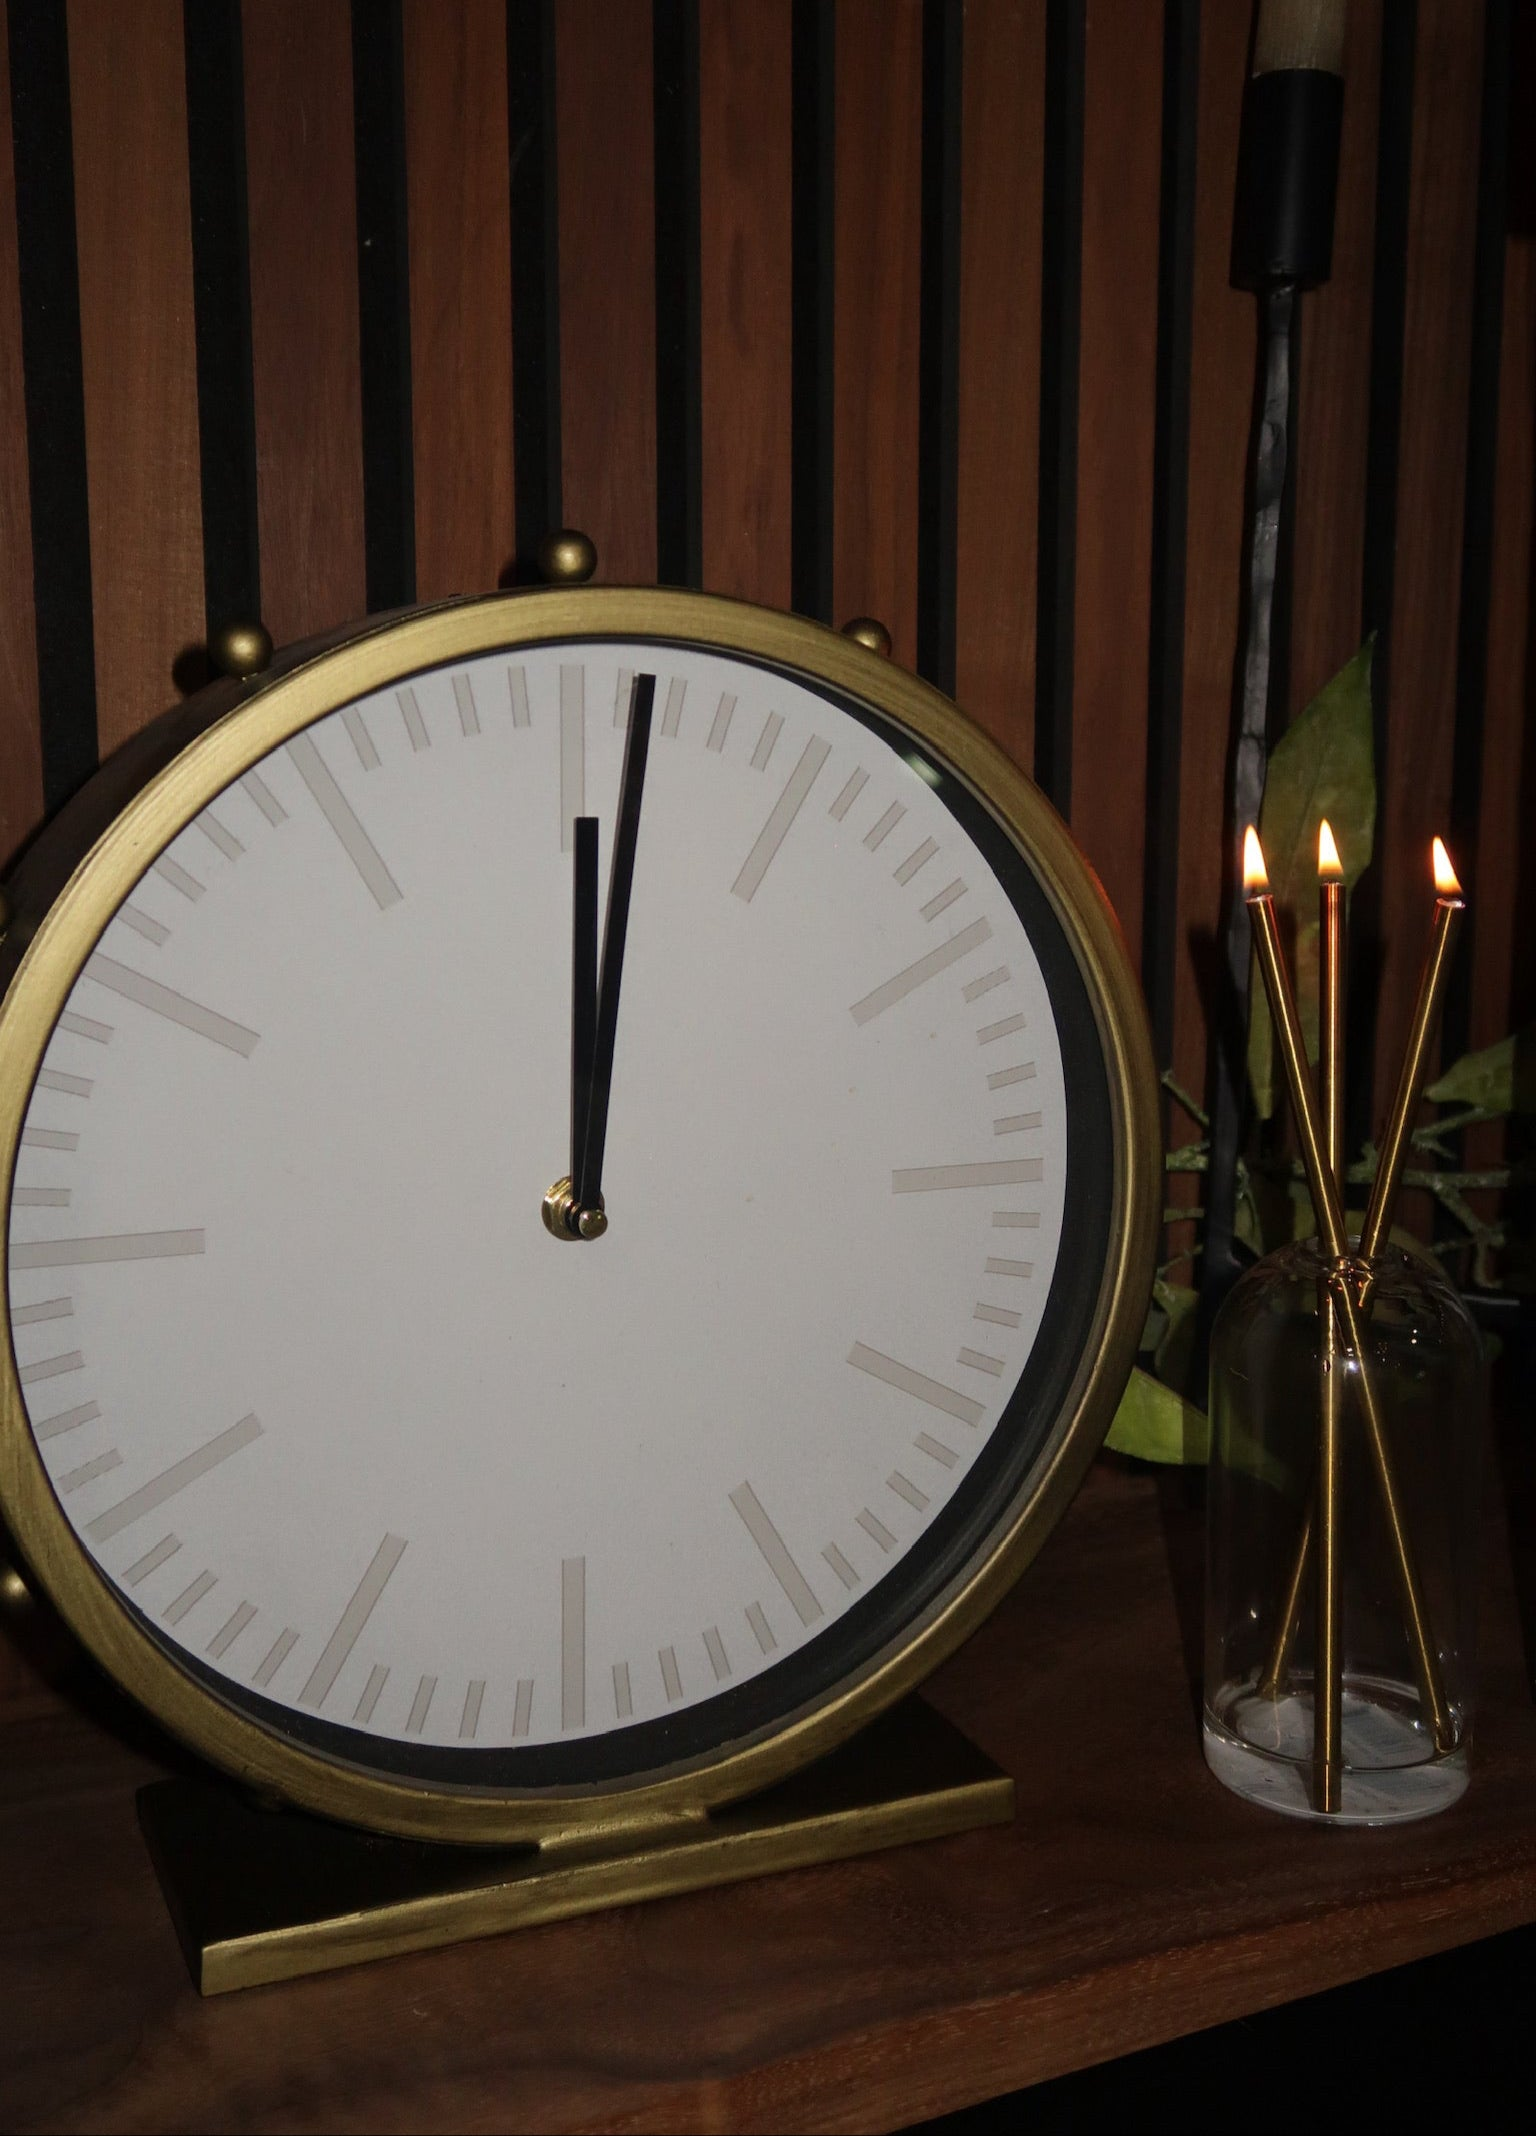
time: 12:01
